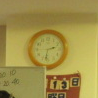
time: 2:32
